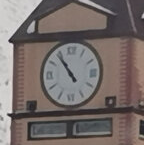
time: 10:53
